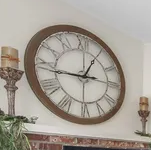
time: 12:44
